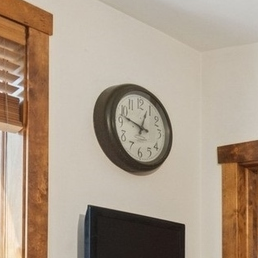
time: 12:47
